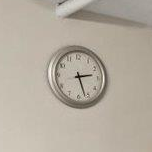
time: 2:26
